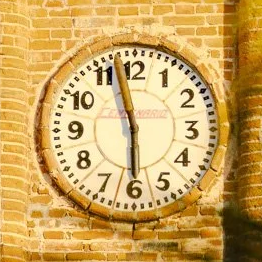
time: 5:57
